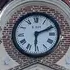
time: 6:10
